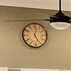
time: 5:01
